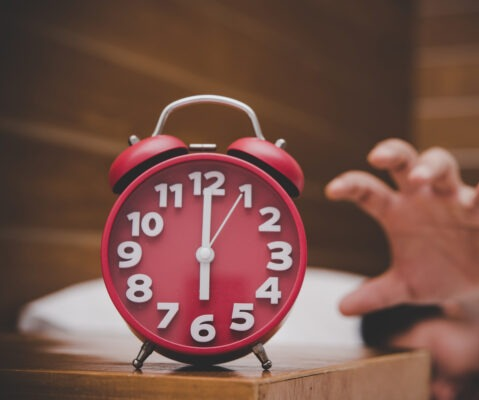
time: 6:00
